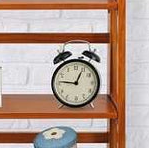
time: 12:46
